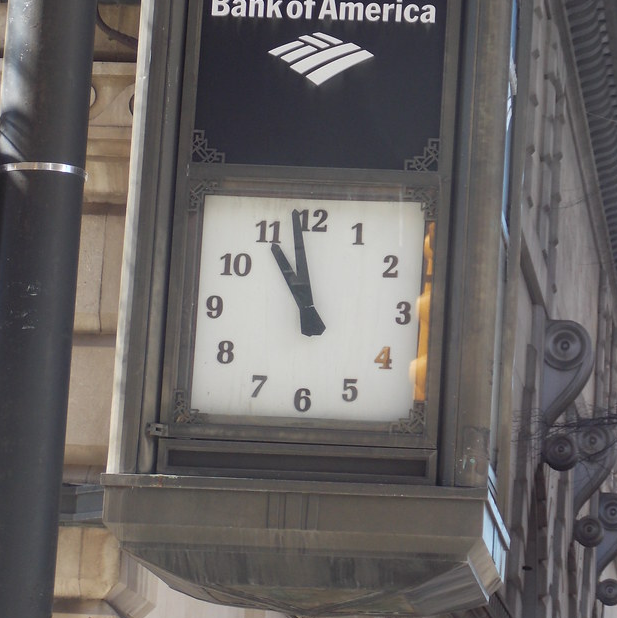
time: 10:58
